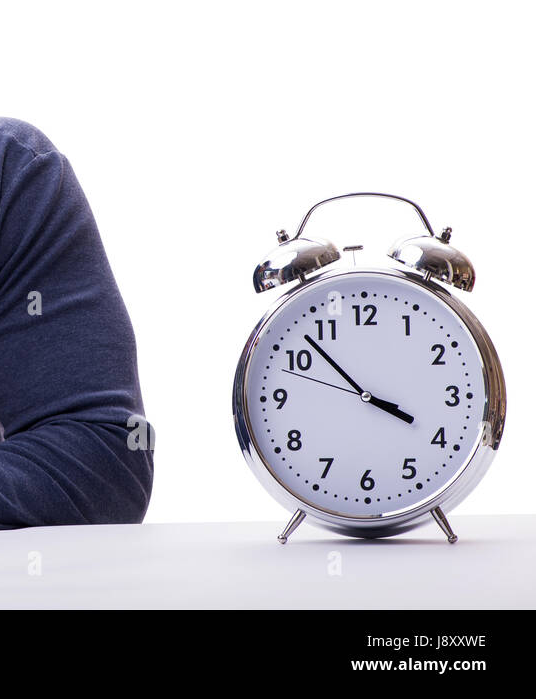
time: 3:52
